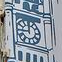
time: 11:44
